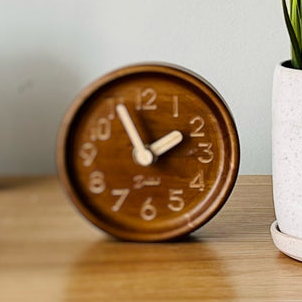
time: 1:55
